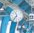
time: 11:36
